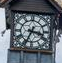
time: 3:34
